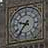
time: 9:36
